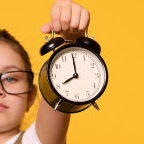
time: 7:59
